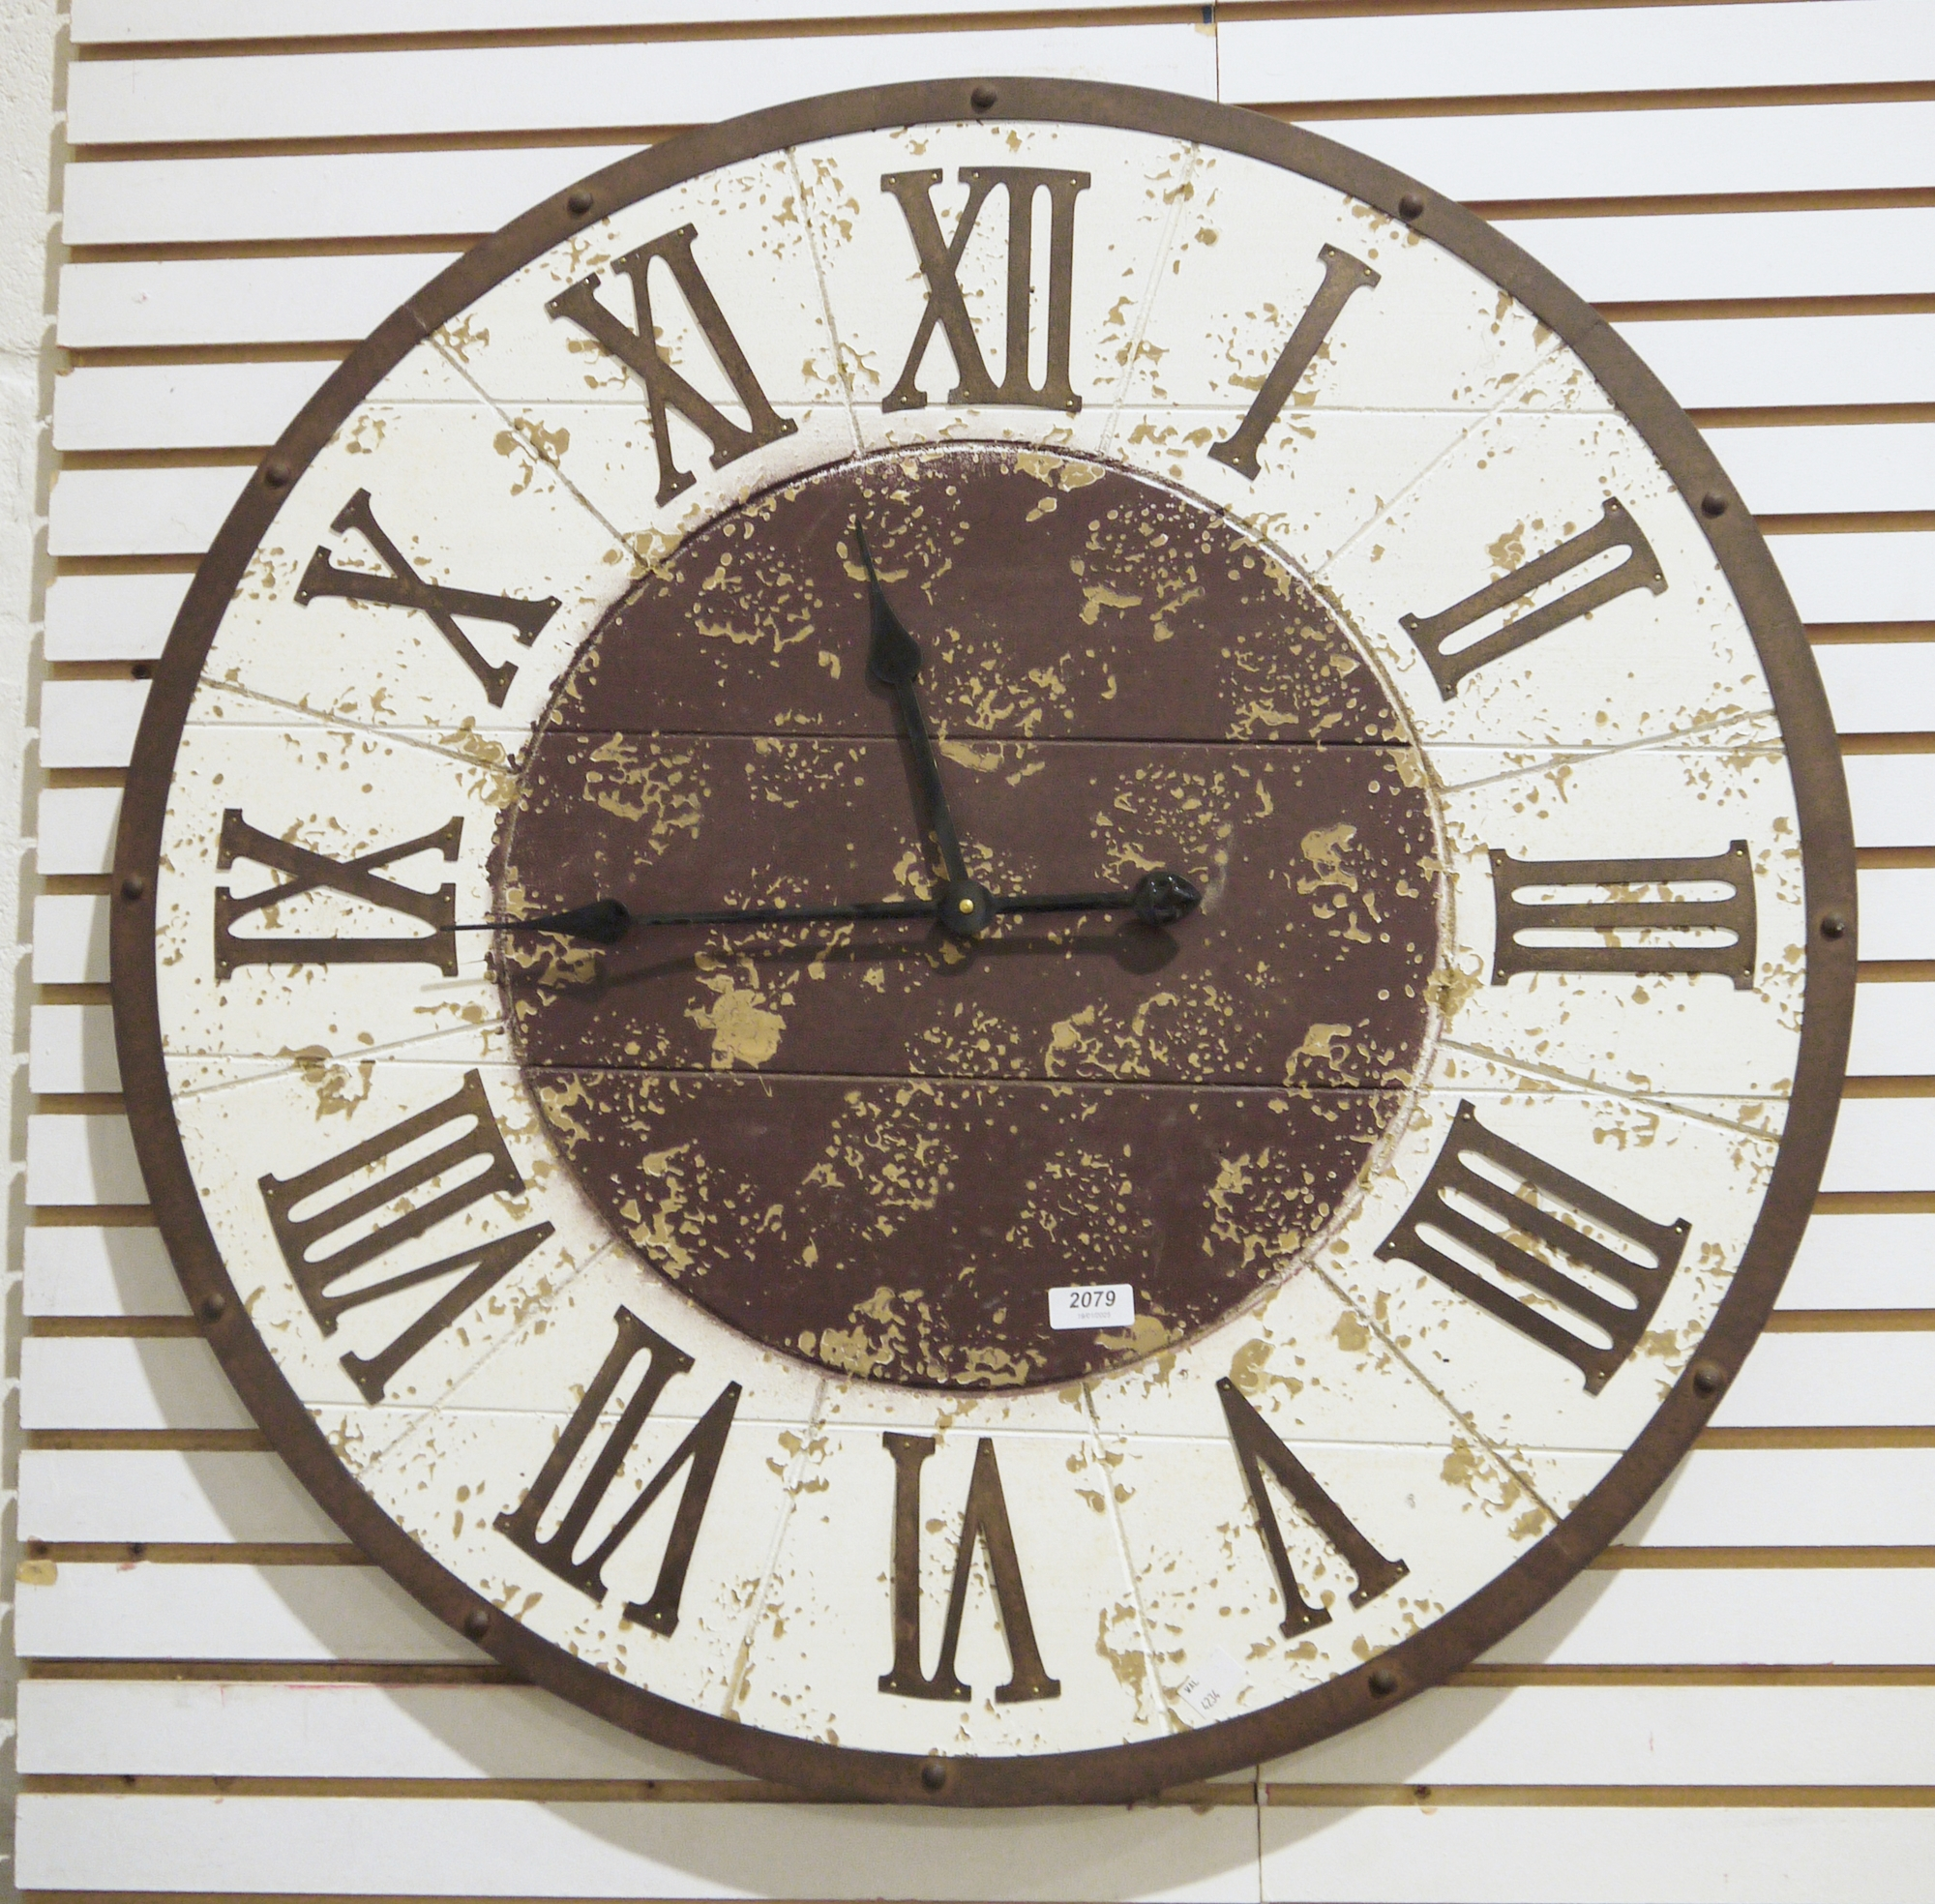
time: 2:57
